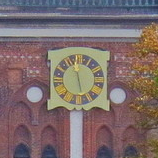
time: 11:28
